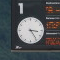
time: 3:24
